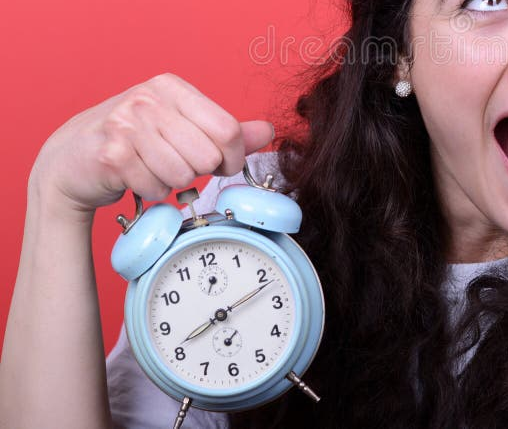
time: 8:11
